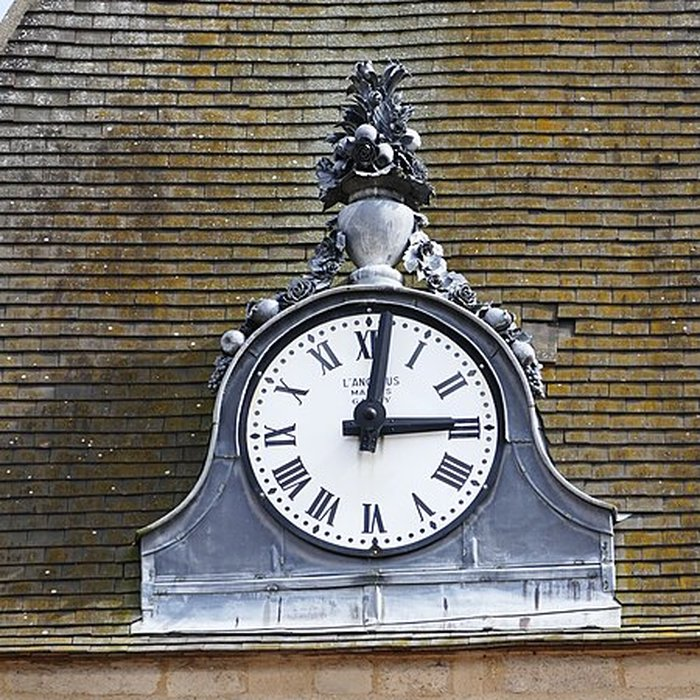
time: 3:01
